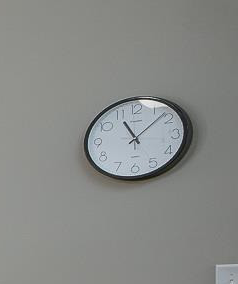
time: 11:07
